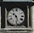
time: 10:28
